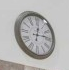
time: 12:13
